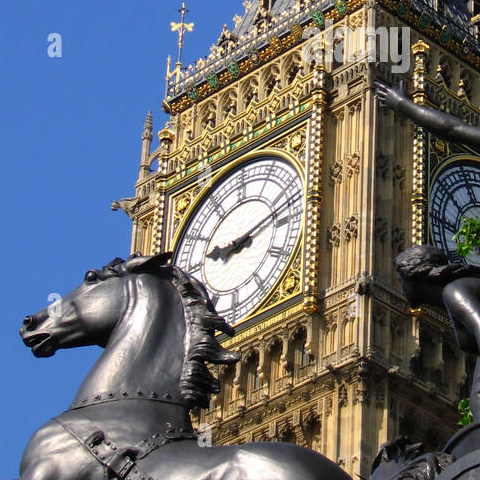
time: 9:12
